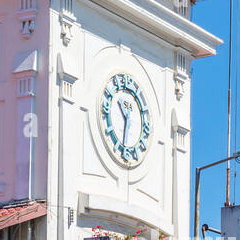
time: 10:32
